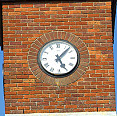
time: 5:07
